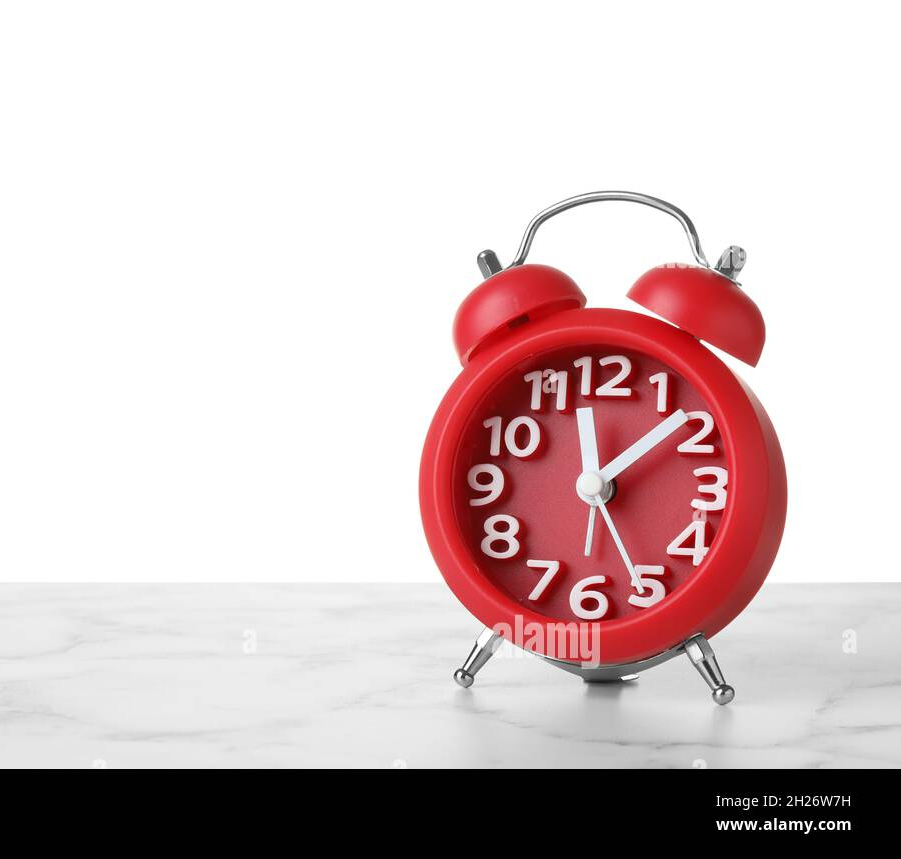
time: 12:08
